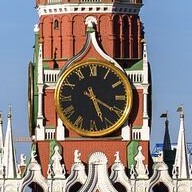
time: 5:20
